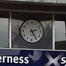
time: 2:24
